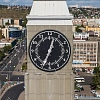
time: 12:34
